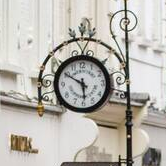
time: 5:50
